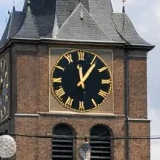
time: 12:06
